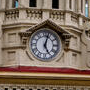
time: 5:03
